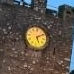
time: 5:09
